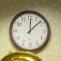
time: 12:08
